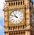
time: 10:48
